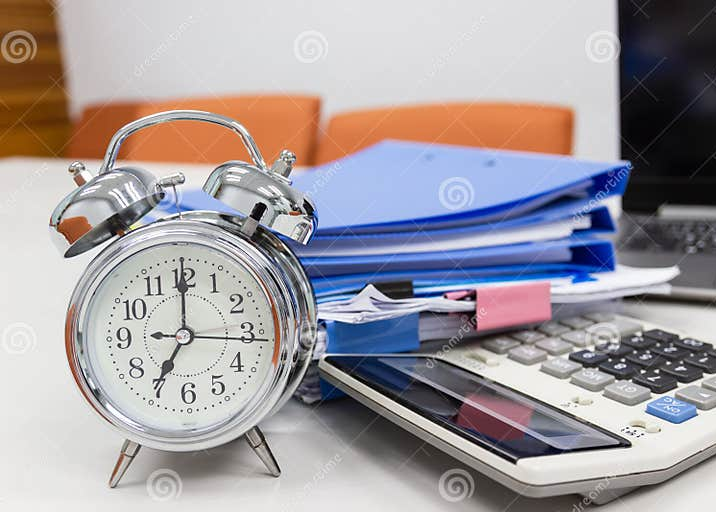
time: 7:00
